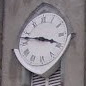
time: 3:47
